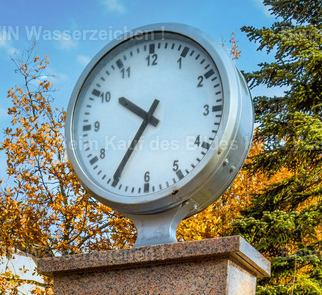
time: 10:35
